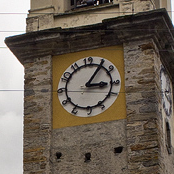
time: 3:05
